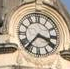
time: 3:36
